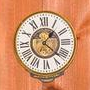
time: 1:22
